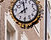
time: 7:57
